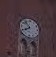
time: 7:52
